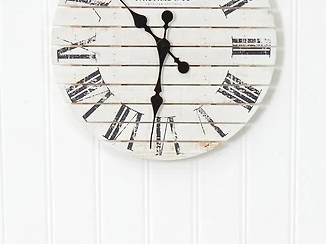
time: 10:30
